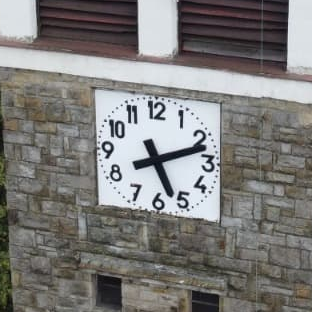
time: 5:11
